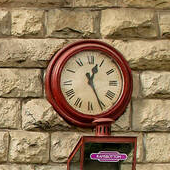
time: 12:25
